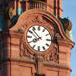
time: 7:52
